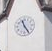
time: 11:24
